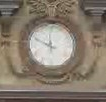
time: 11:48
